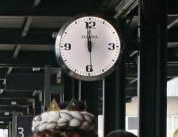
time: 11:59
